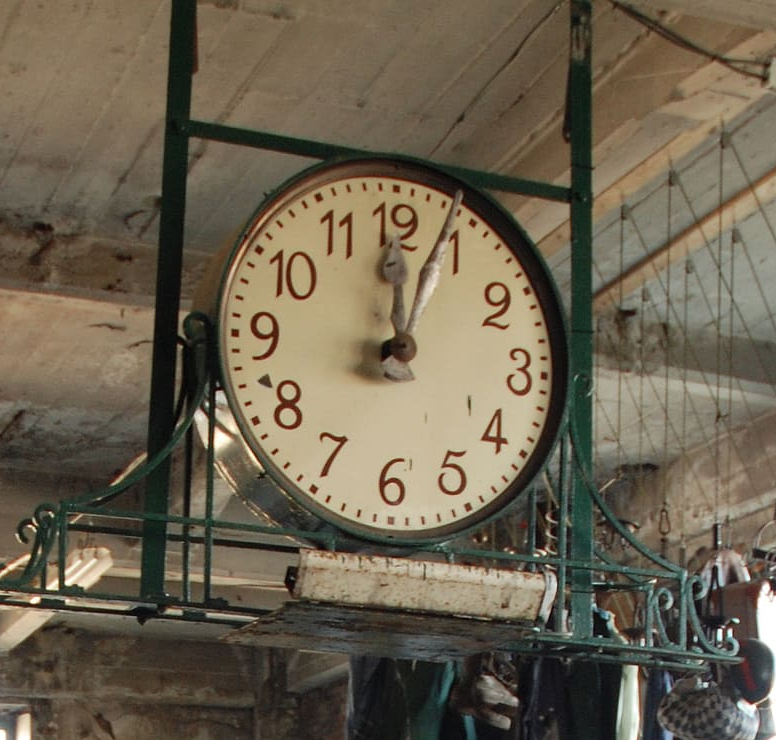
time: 12:03
